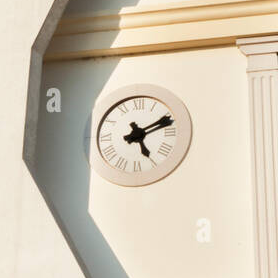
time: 5:11
